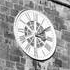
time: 3:09
